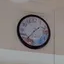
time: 1:36
